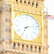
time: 7:12
